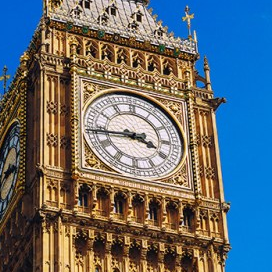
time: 3:43
